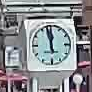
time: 11:57
